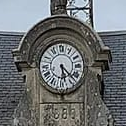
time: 5:22
